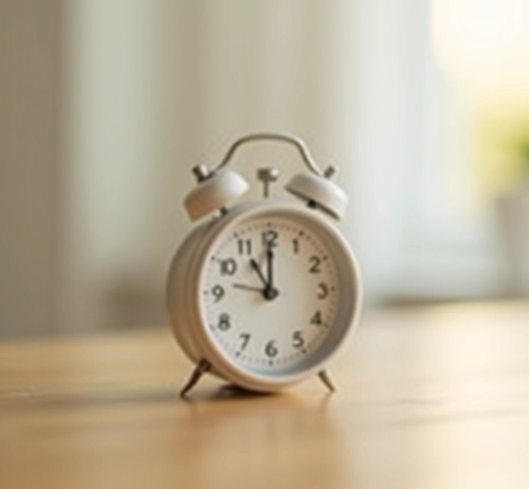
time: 11:00
